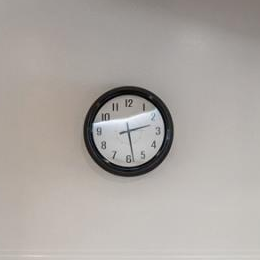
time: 2:28
